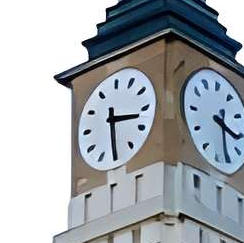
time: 3:29
